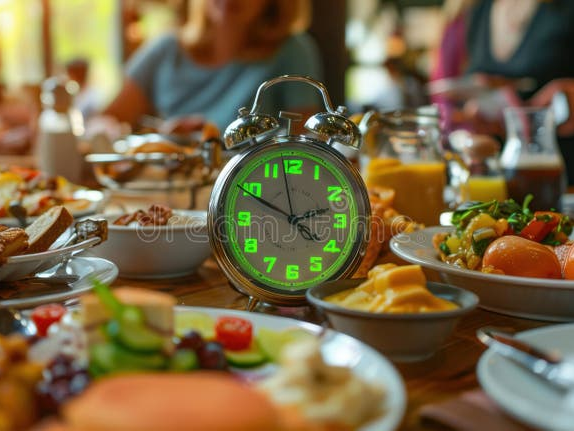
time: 2:49
